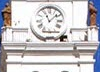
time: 11:07
